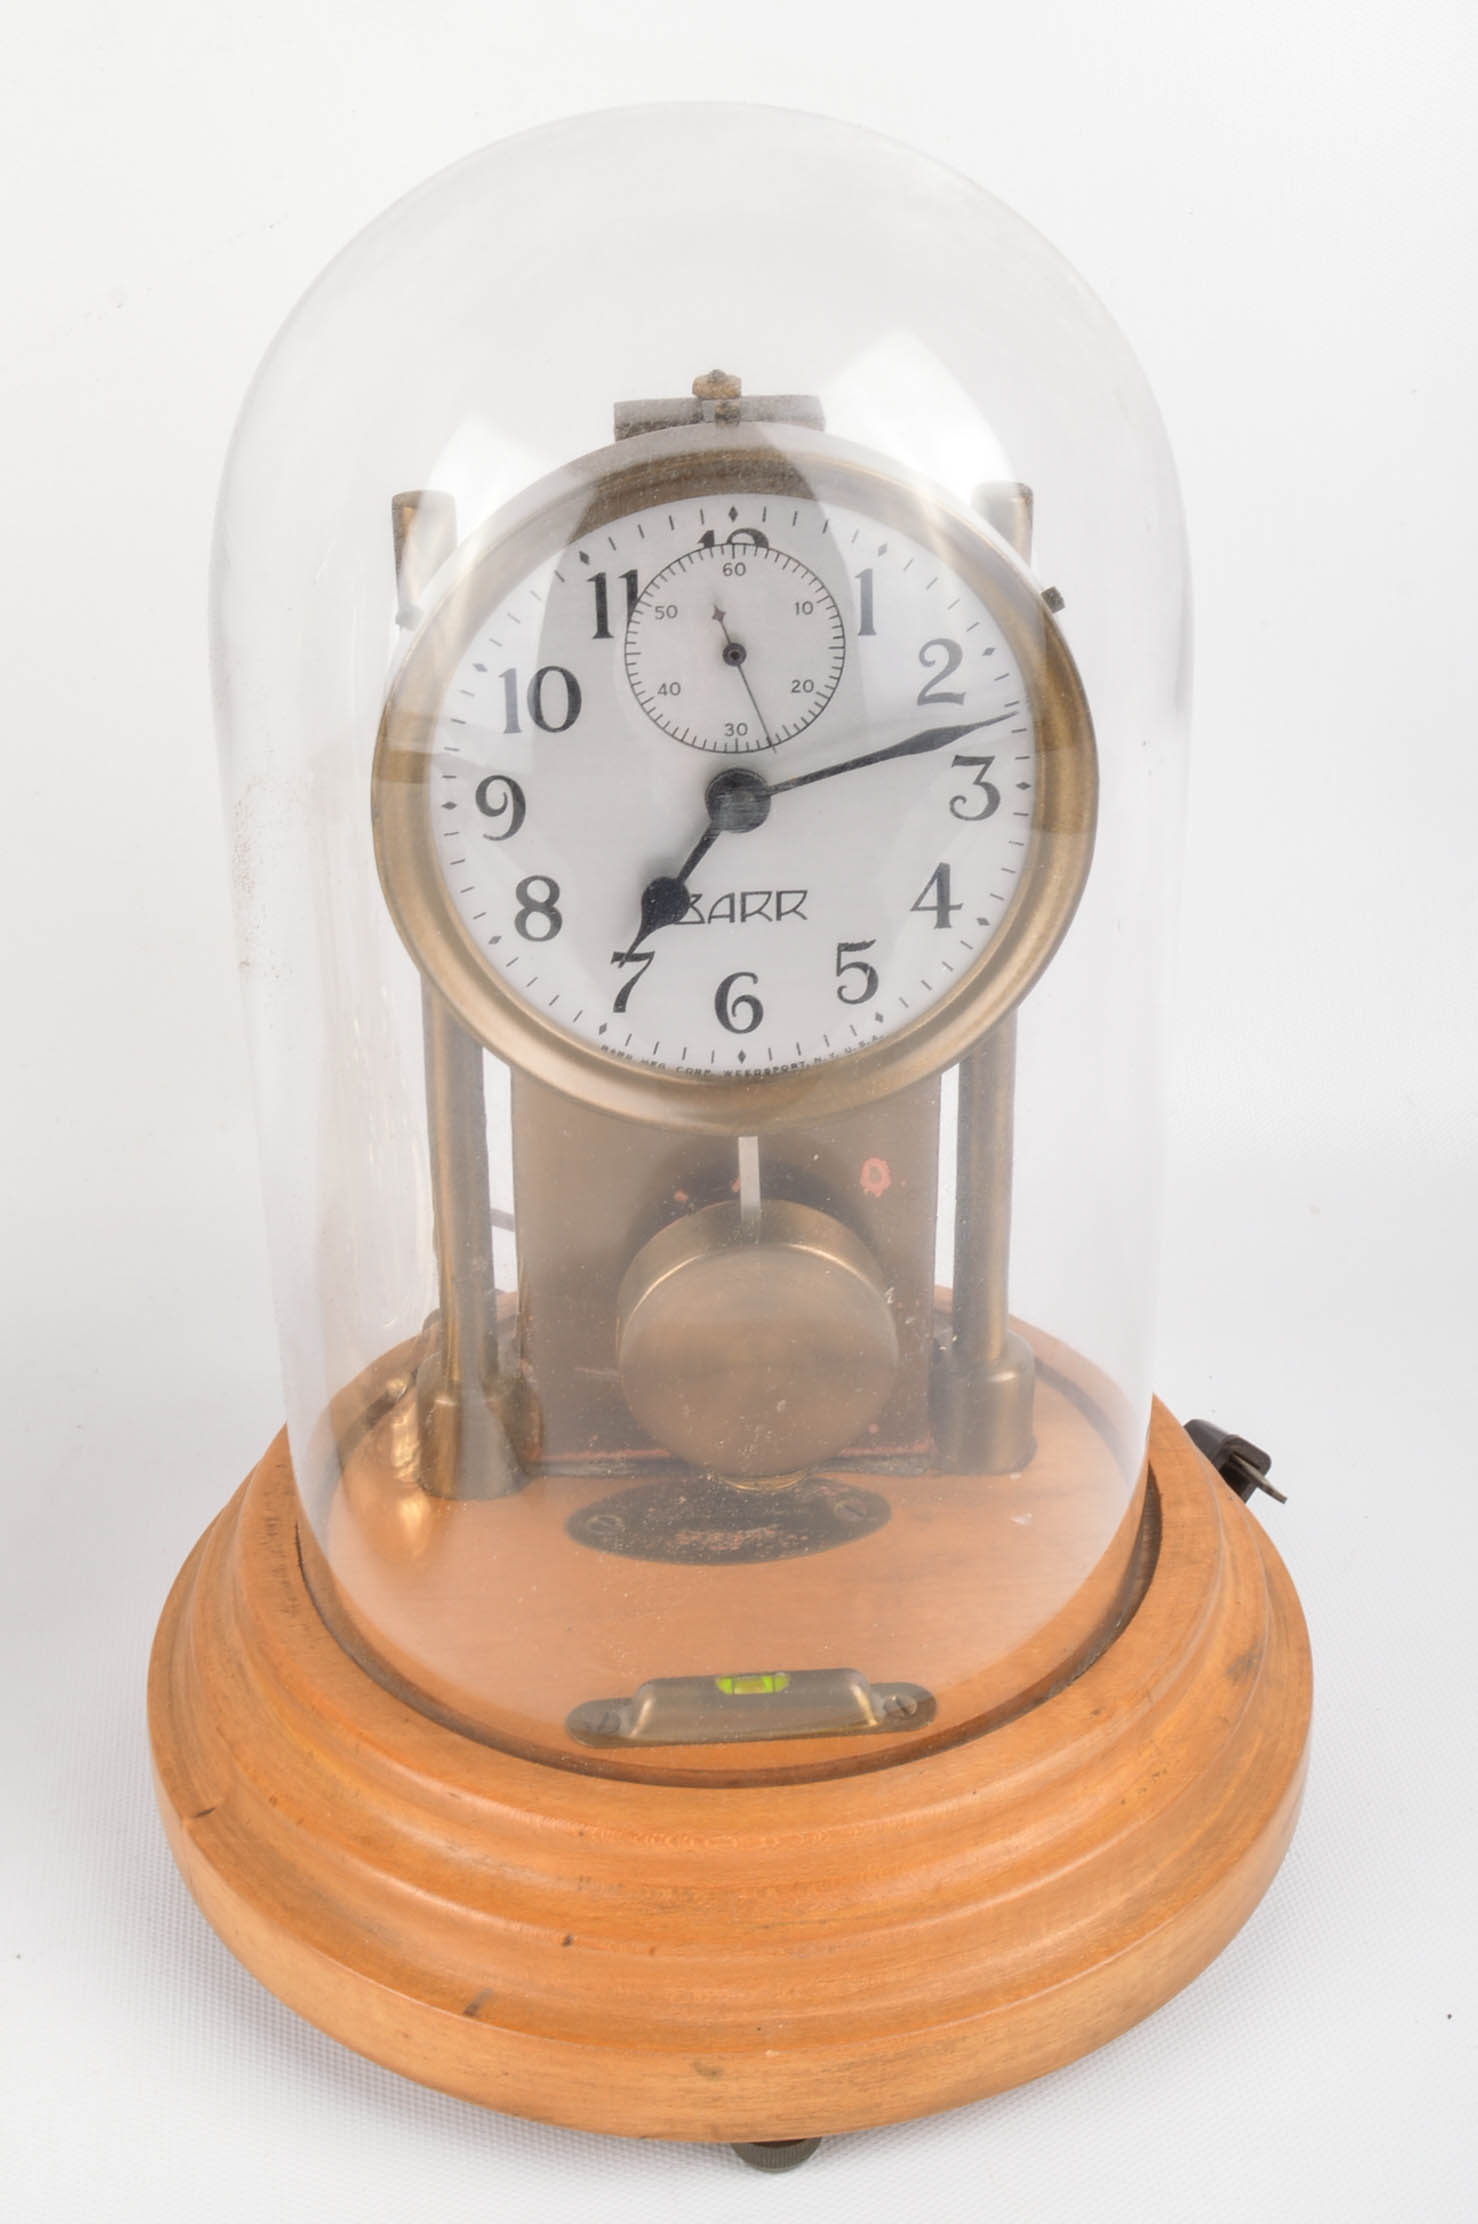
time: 7:12
